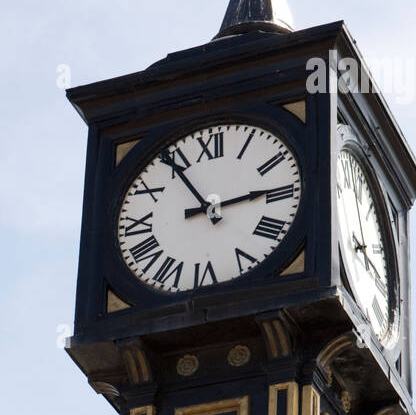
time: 2:54
